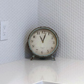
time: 11:02
